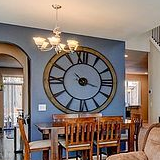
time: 3:52
